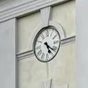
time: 5:21
